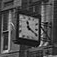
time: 11:19
